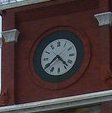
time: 4:38
